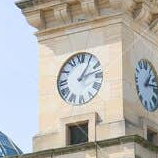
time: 1:12
